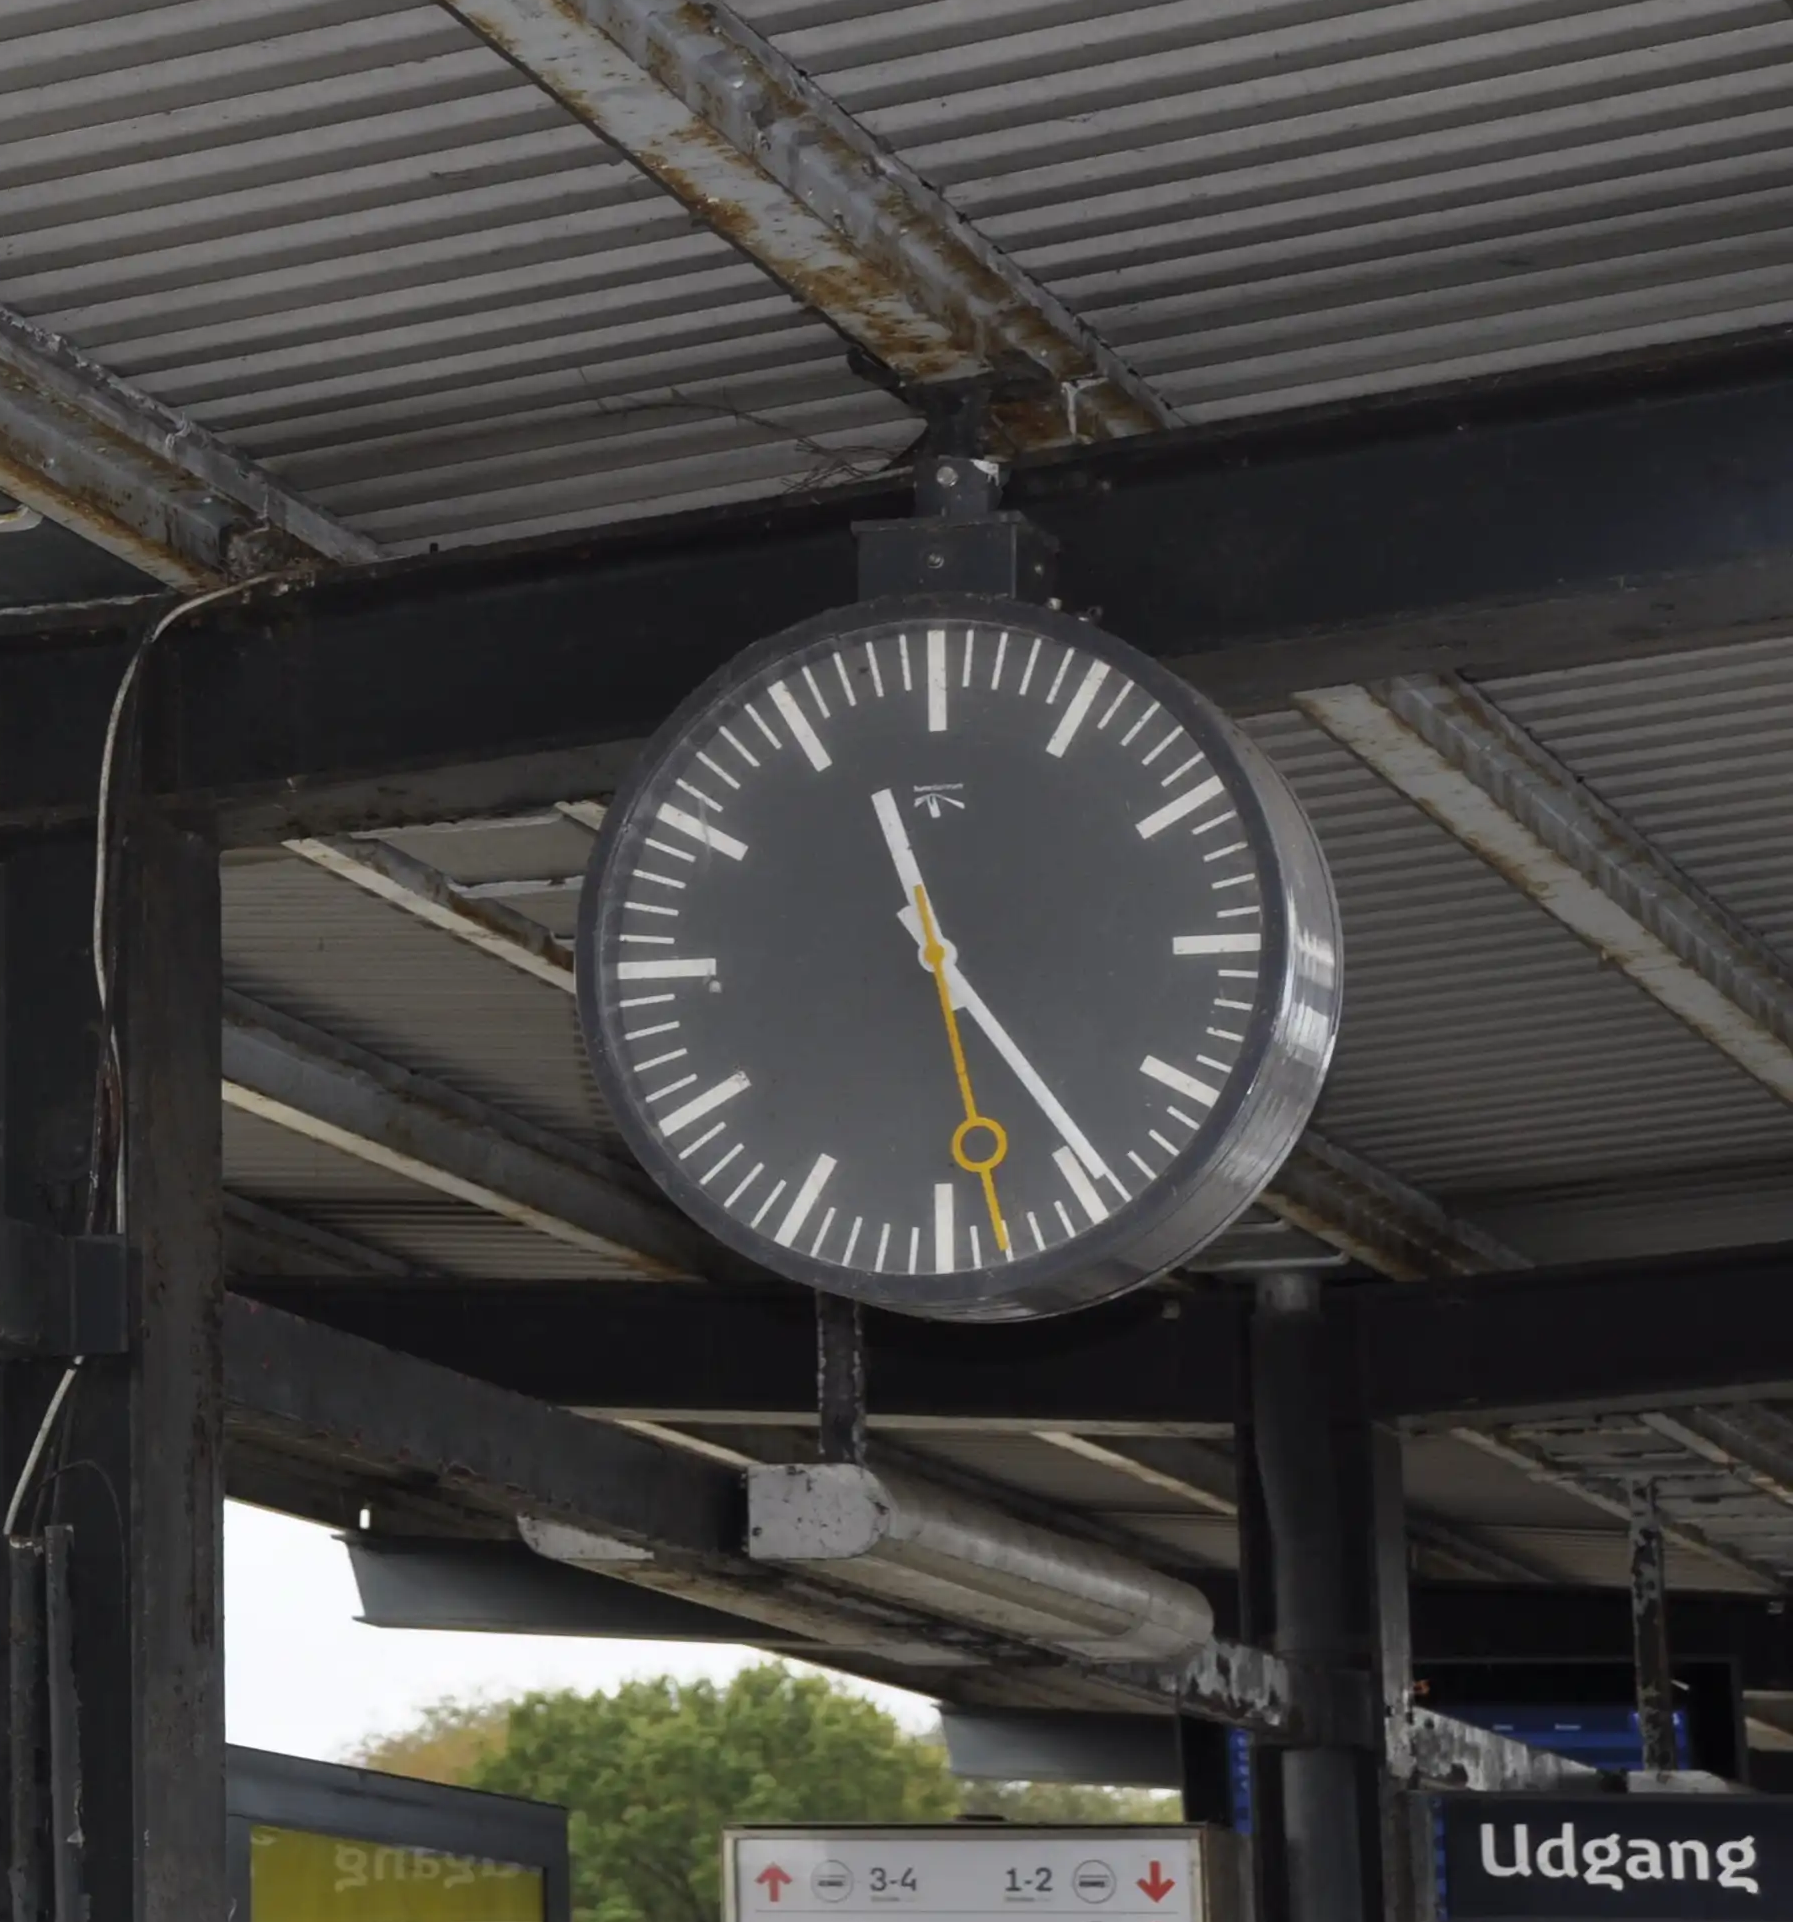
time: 11:24
